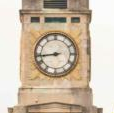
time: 8:43
